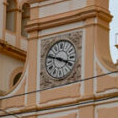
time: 3:48
